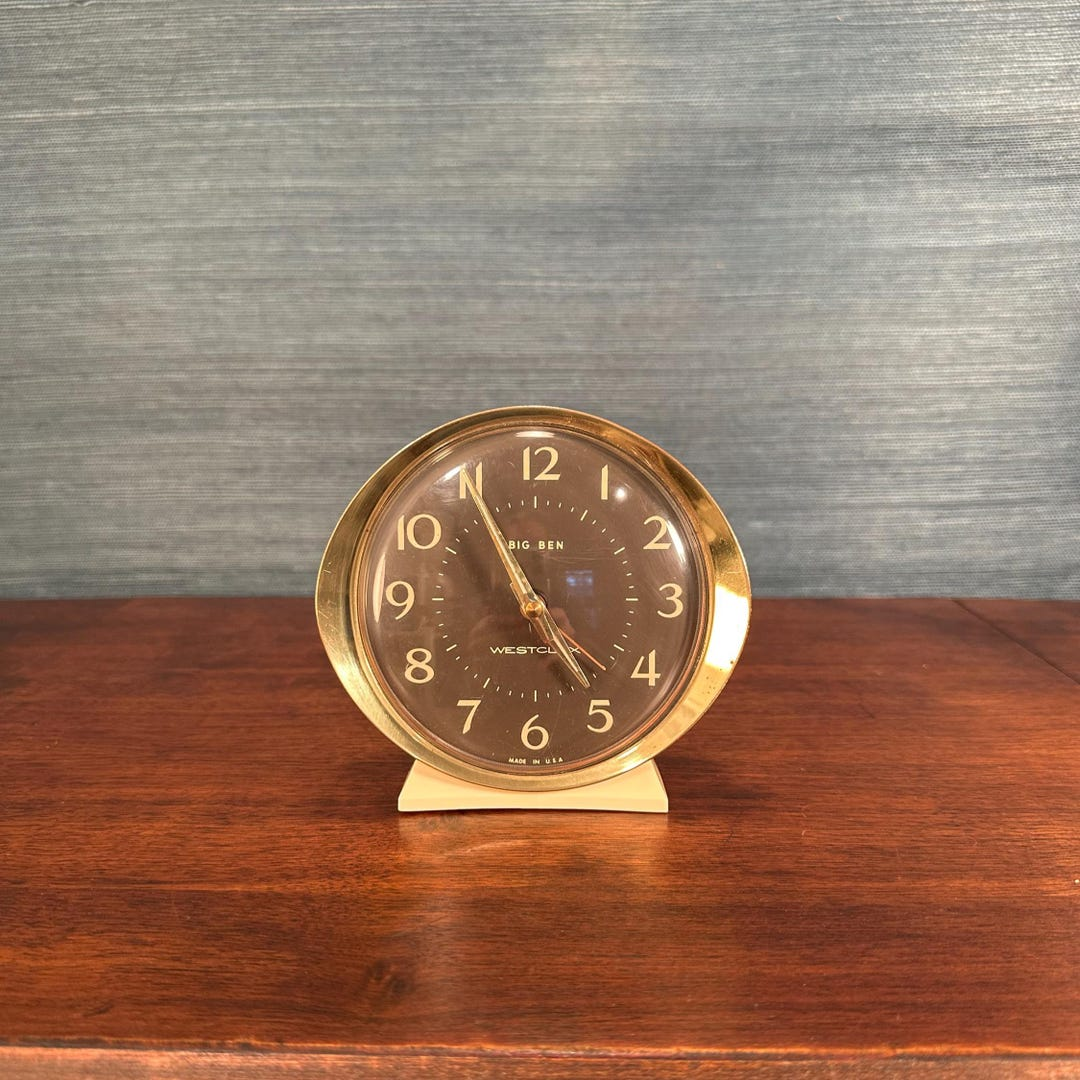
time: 4:55
